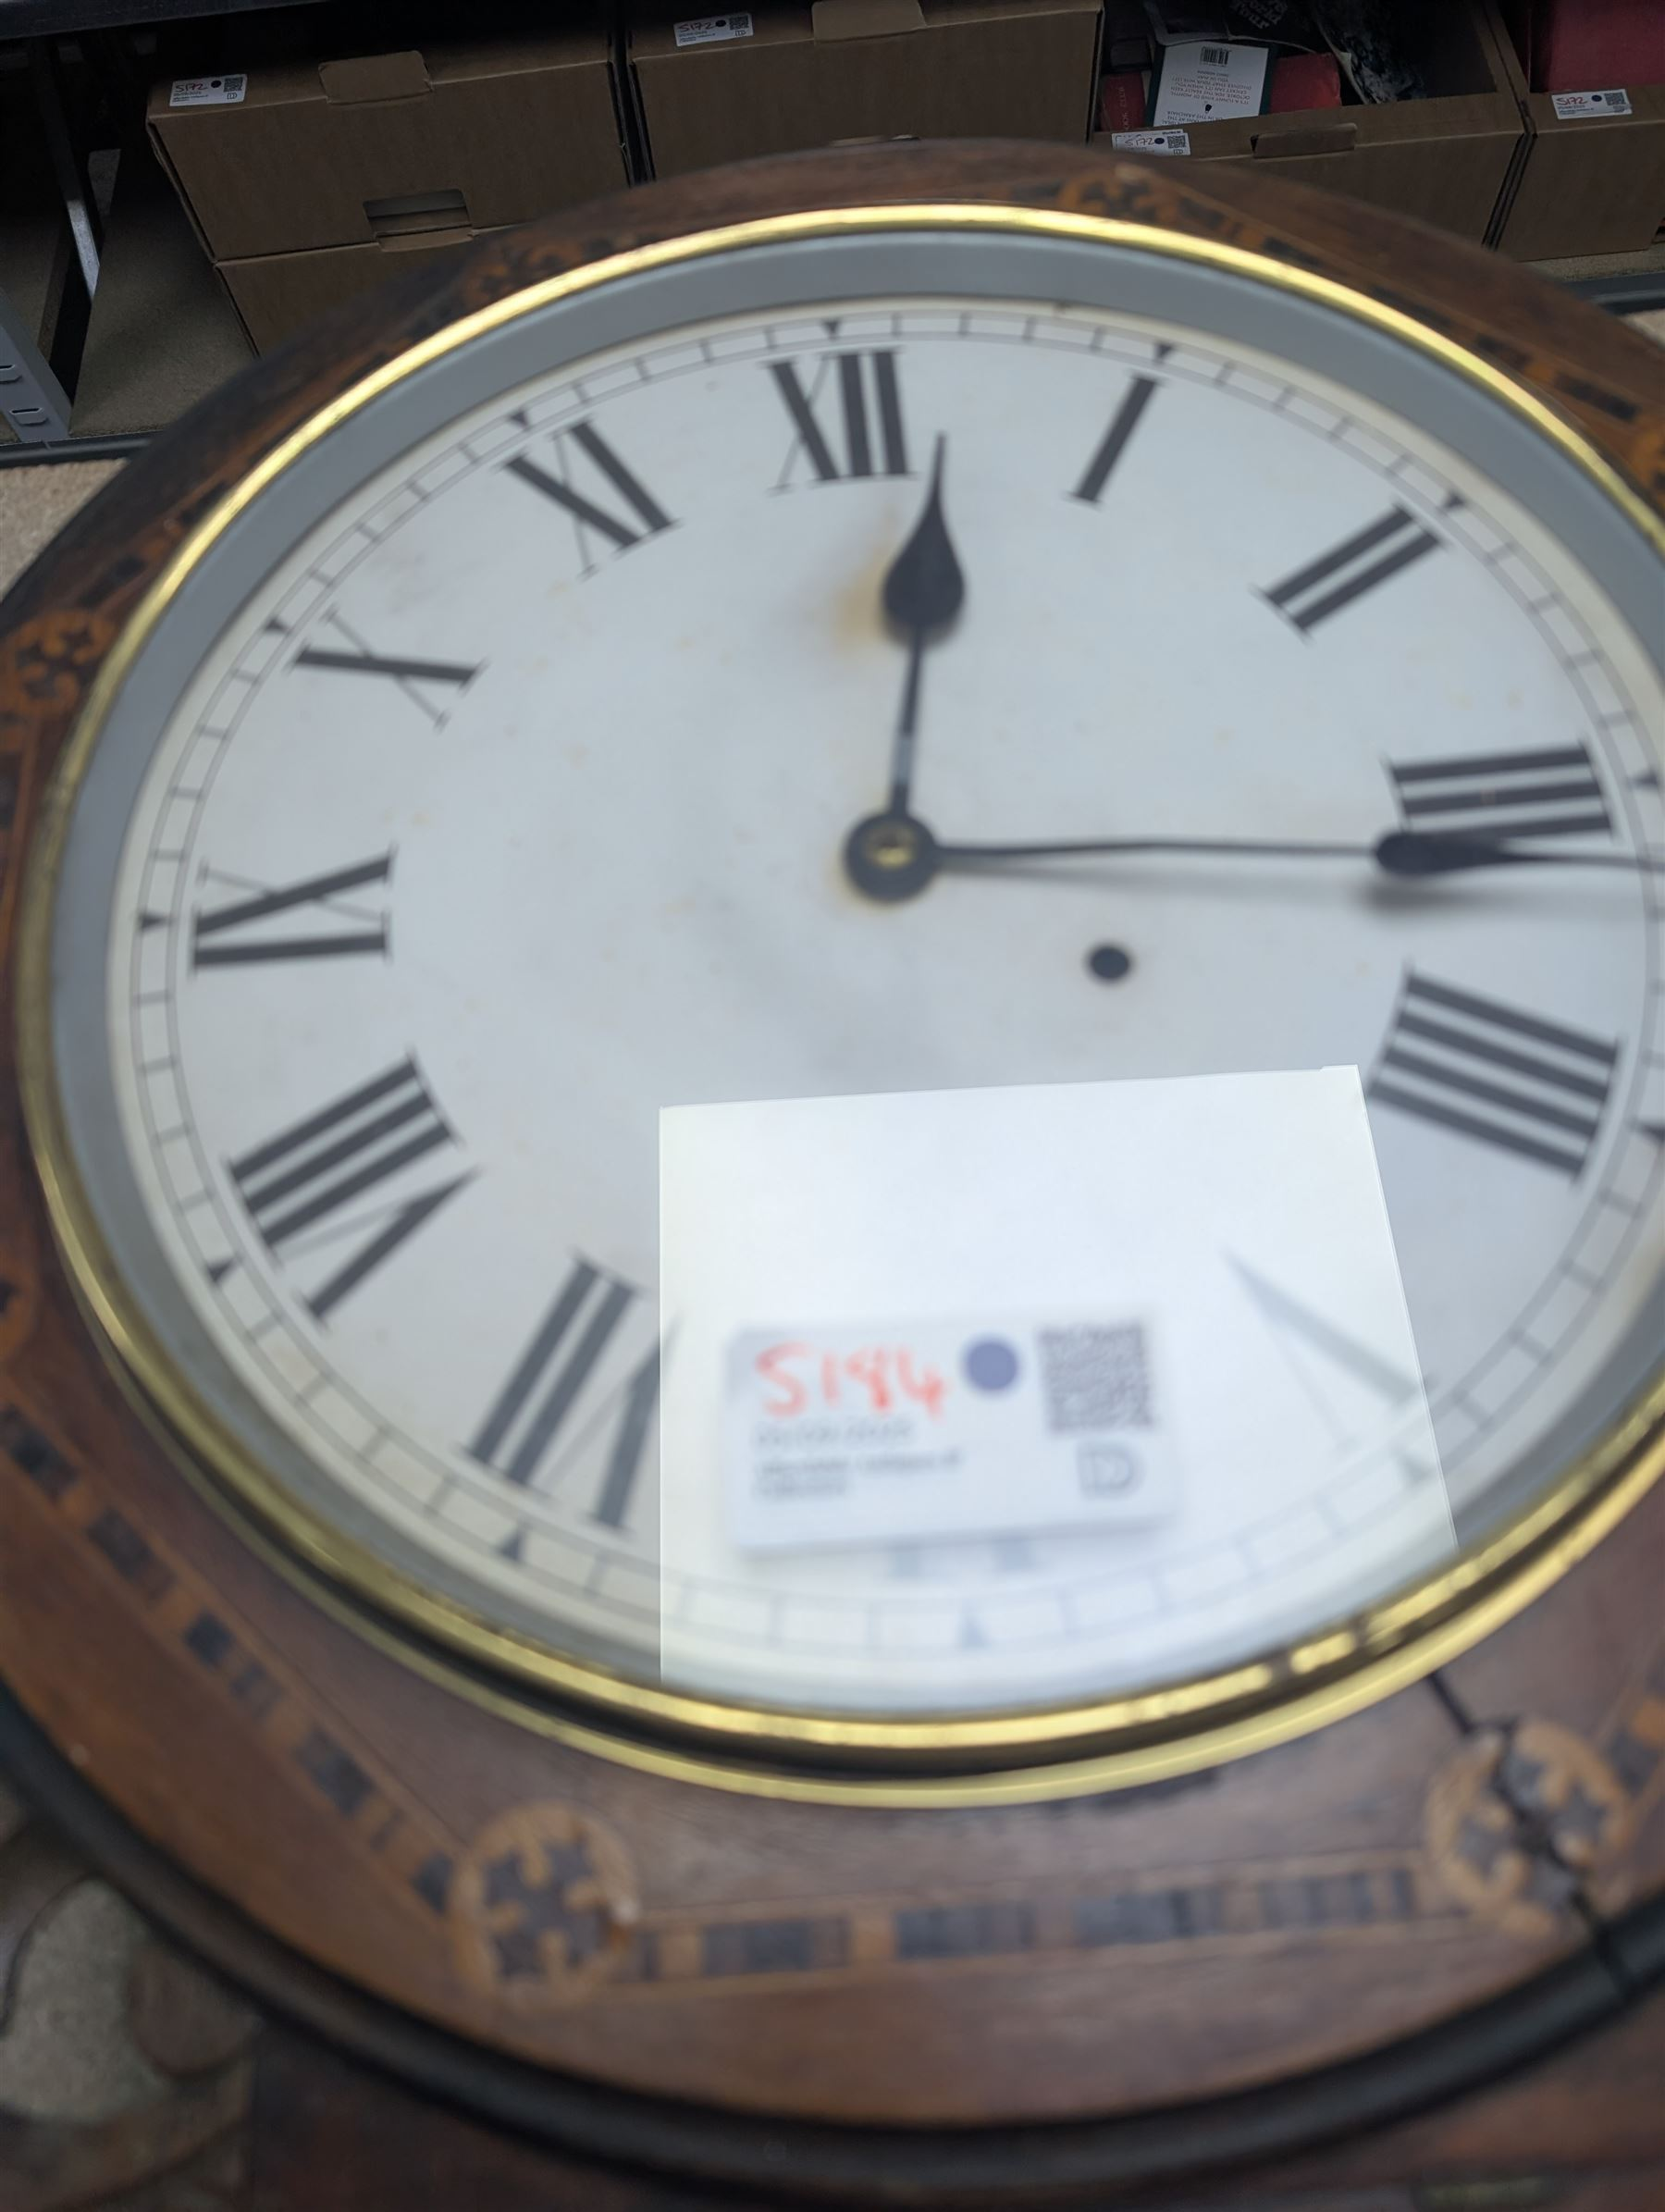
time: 12:16
